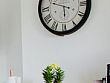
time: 5:48
